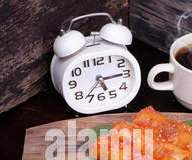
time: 5:14
